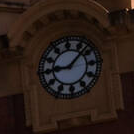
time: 9:07
